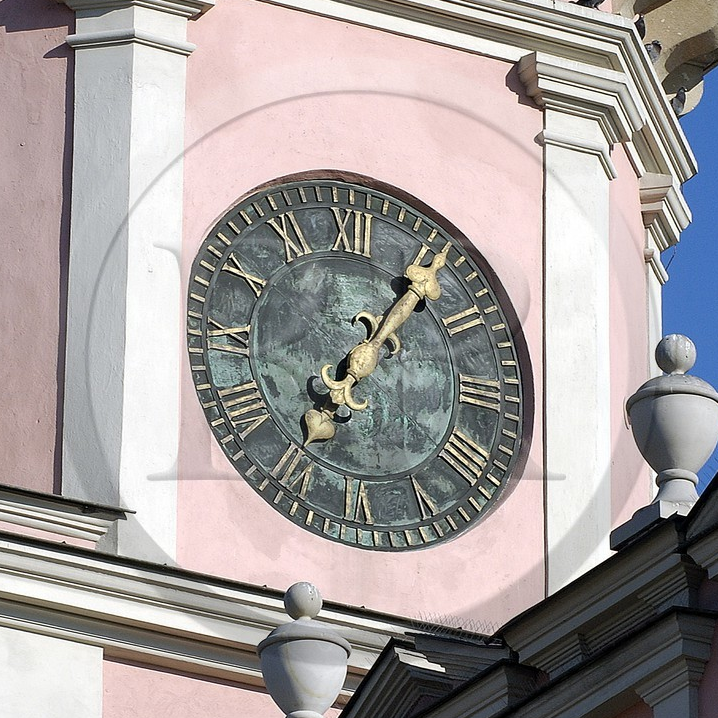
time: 7:06
